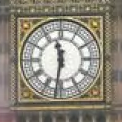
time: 11:31
